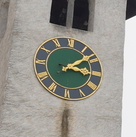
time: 3:08
